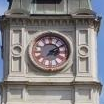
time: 3:09
